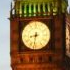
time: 8:32
